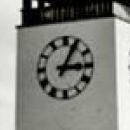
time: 3:04
